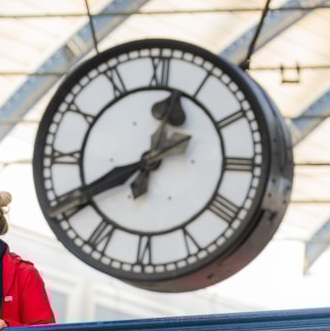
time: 12:40
